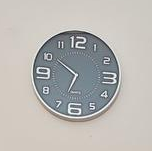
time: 6:50
